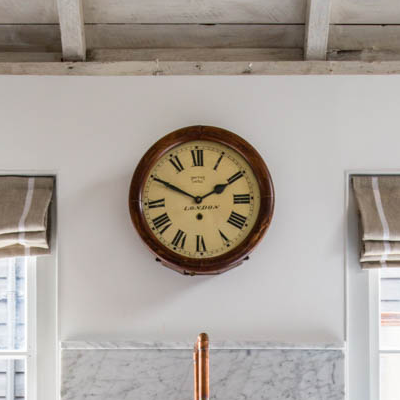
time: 1:49
